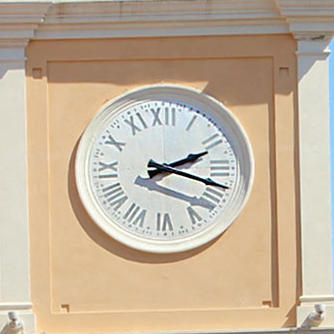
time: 2:18
